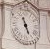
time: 11:26
